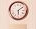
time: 6:08
